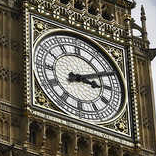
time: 3:10
